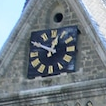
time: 12:49
